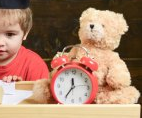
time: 11:35
